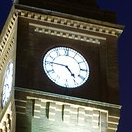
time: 4:45
